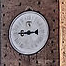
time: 8:44
